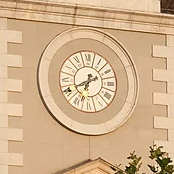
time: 6:40
